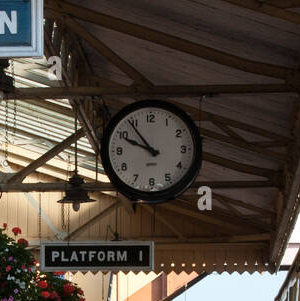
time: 9:54
